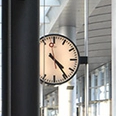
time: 4:23
